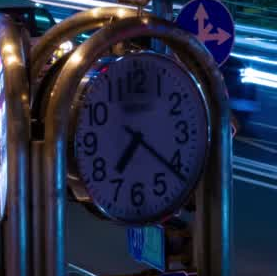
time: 7:21
